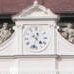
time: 4:33
